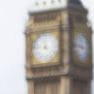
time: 11:46
